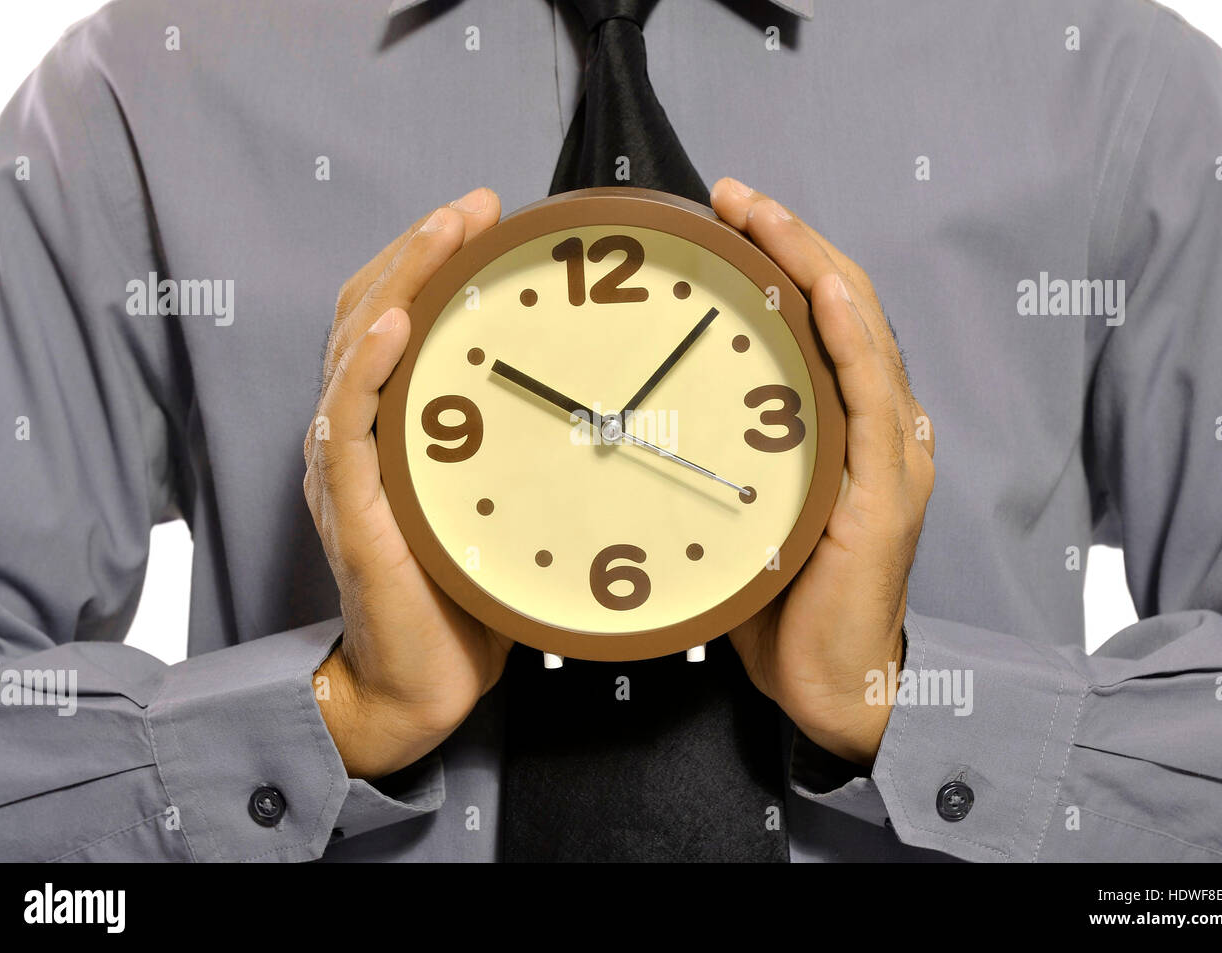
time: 10:07
